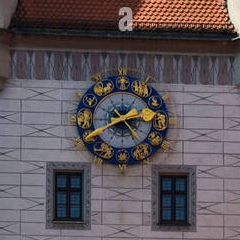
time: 4:40
